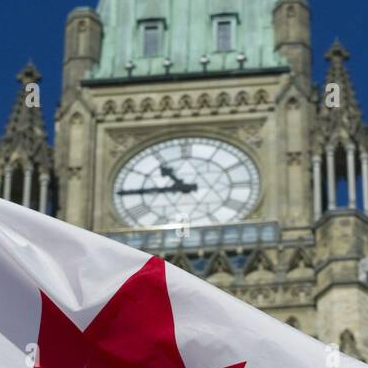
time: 10:45
